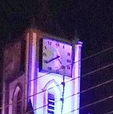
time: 4:40
